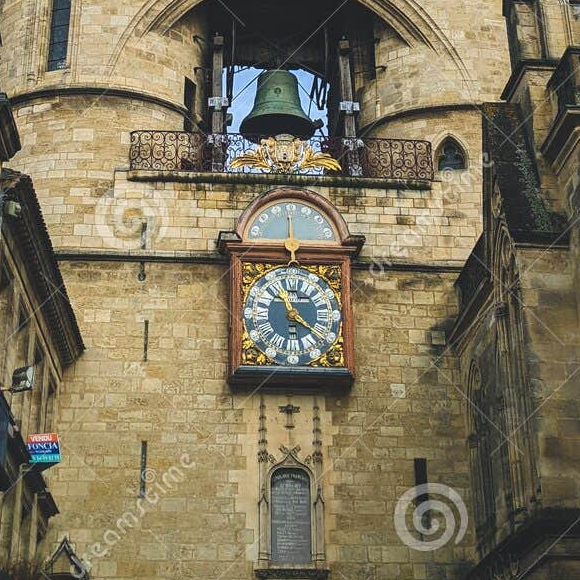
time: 11:21
